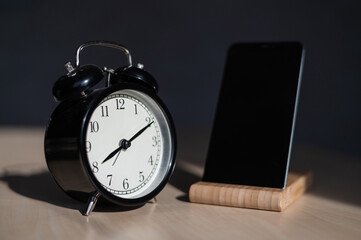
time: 8:10
